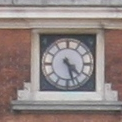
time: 4:27
